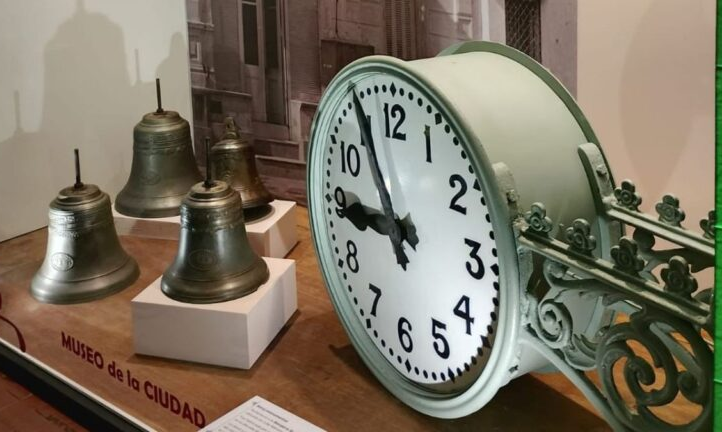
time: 8:55
